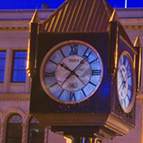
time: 10:07
